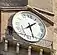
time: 1:27
